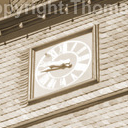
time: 9:45
